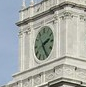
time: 2:25
